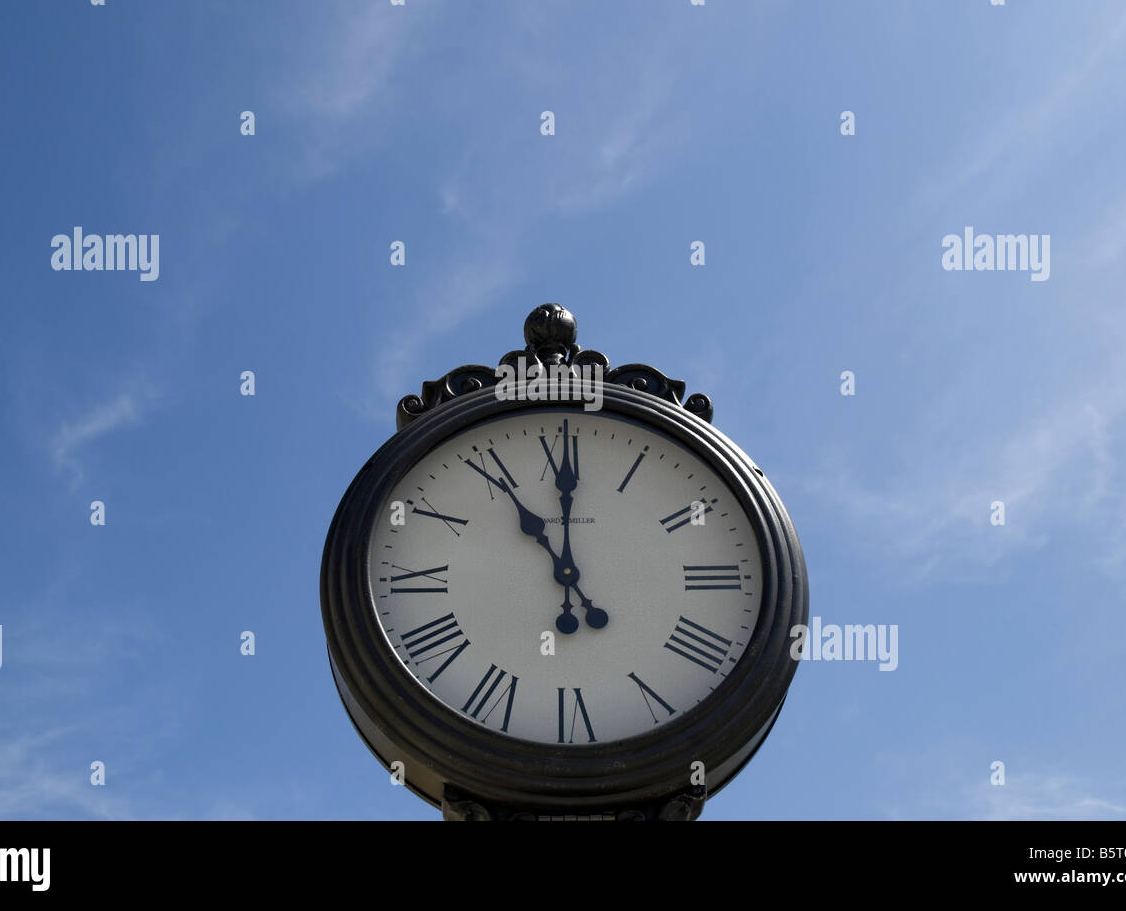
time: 11:00
